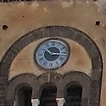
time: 10:15
